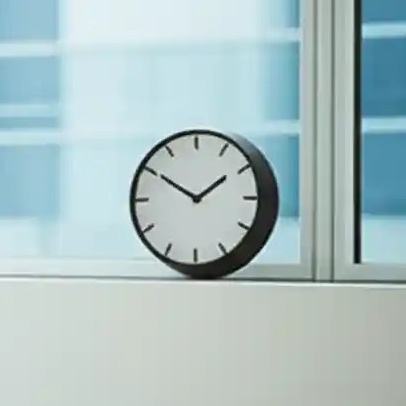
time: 1:50
